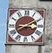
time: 3:10
